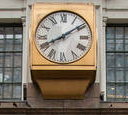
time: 8:09
